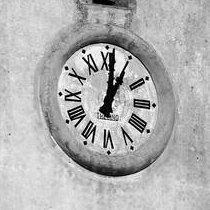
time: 1:01
